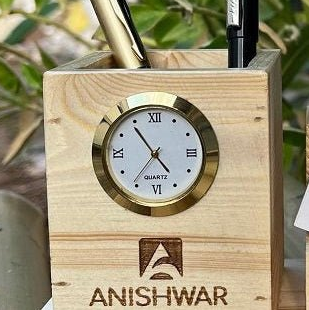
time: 4:54
